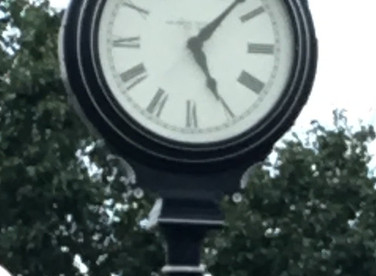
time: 5:06
